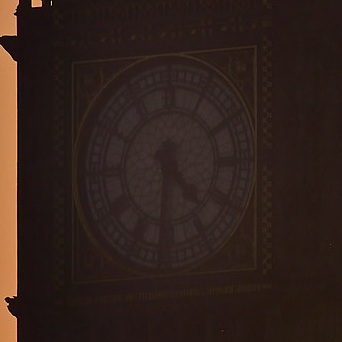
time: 4:31
